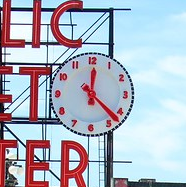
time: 12:22
